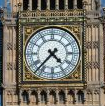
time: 4:37
